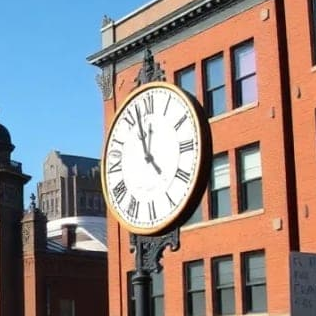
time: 4:57
